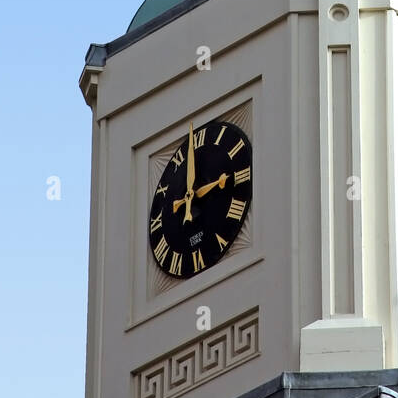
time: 2:58
